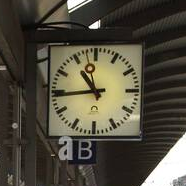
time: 10:44
